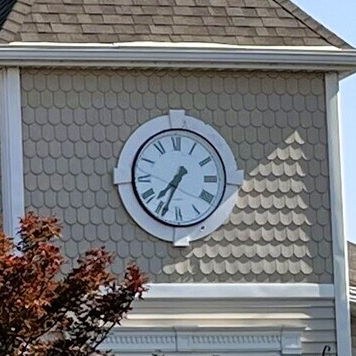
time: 7:34
